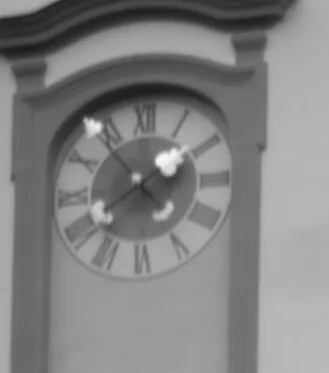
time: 1:53
